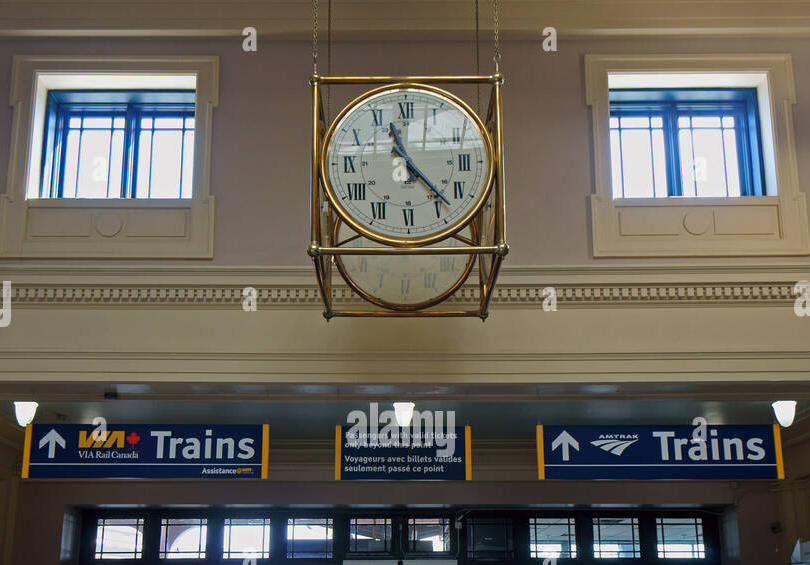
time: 11:22
